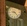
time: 9:22
